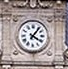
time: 4:06
